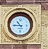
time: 10:45
